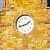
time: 1:42
